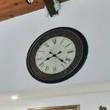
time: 8:22
